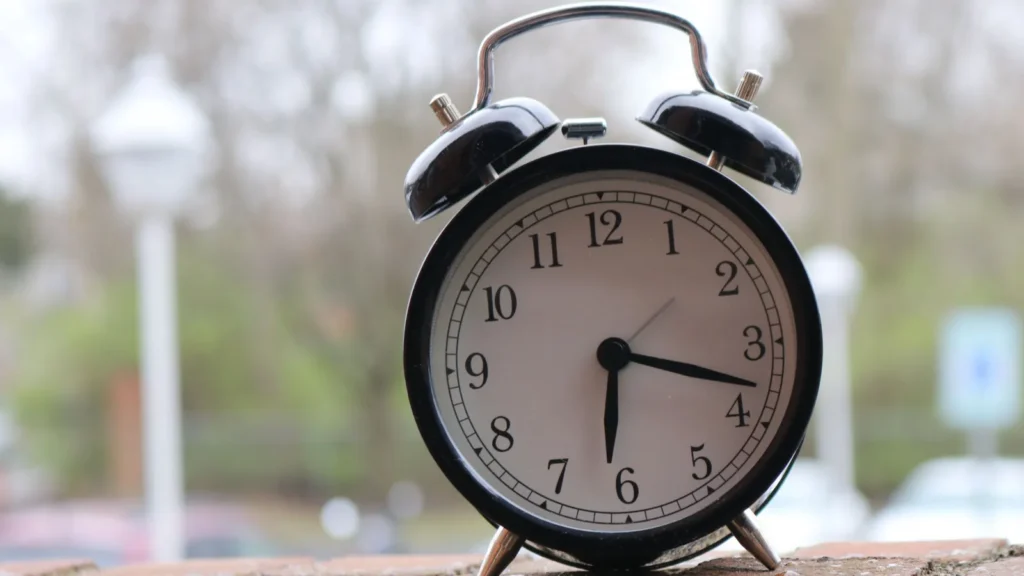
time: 6:18
